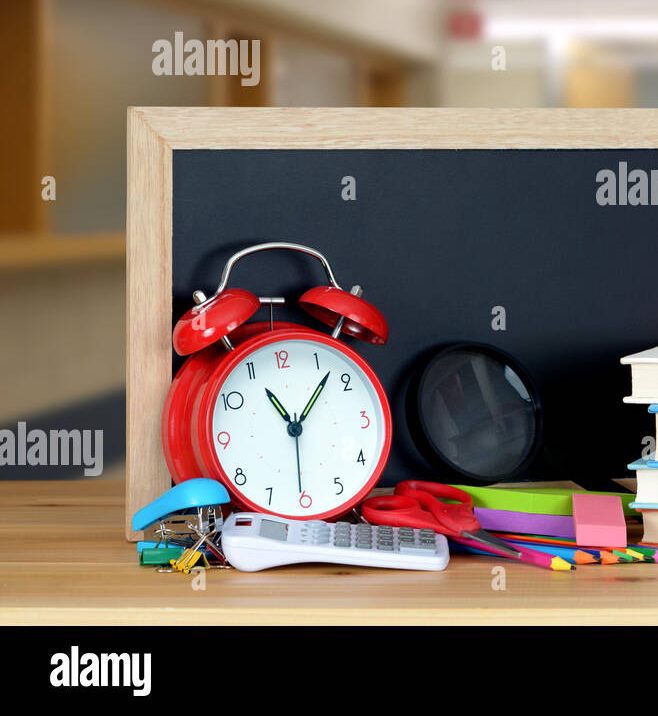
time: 11:07
